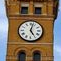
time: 5:02
